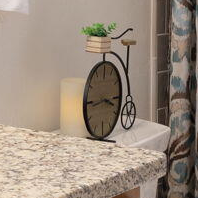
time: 3:43
